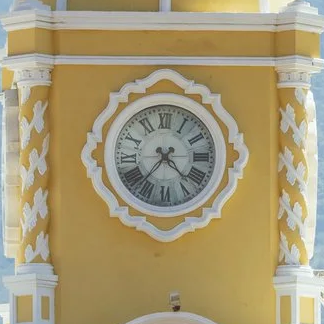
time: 4:36
